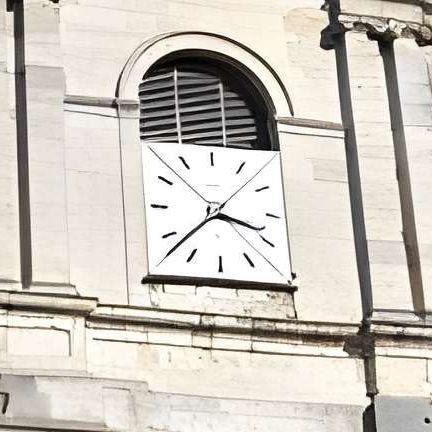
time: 3:38
